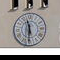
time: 11:30
